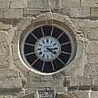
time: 2:18
